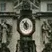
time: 11:52
